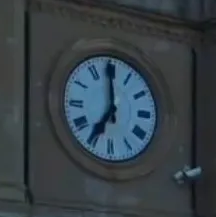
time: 6:59
